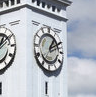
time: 1:10
